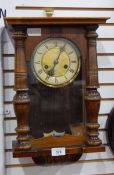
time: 7:04
